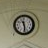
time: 11:28
